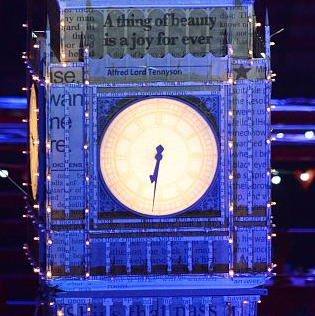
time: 6:31
